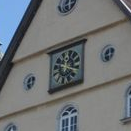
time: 12:19
